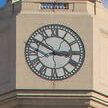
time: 2:50
